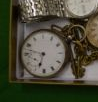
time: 6:47
